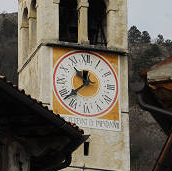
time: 10:37
